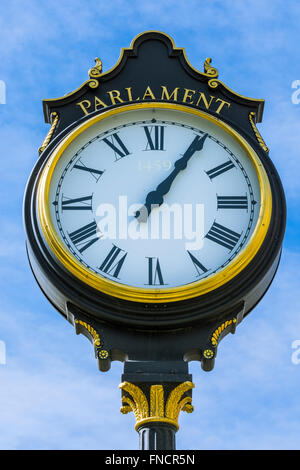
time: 1:05
